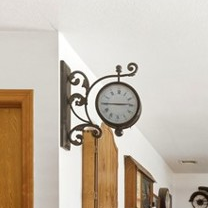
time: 2:44
